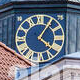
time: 4:05
